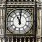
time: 11:00
